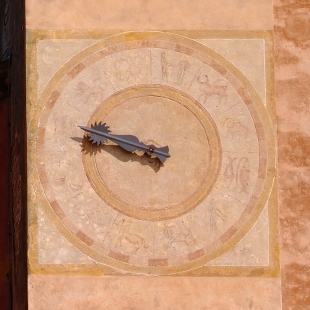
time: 9:47
